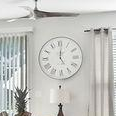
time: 5:00
